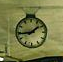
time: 1:43
